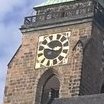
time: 2:48
